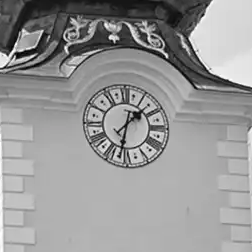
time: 1:32
